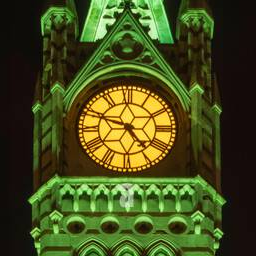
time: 4:48
